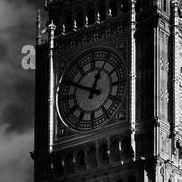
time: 12:49
